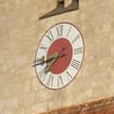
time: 7:43
